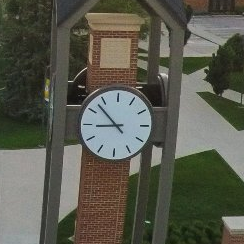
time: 8:52
